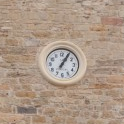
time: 1:05
